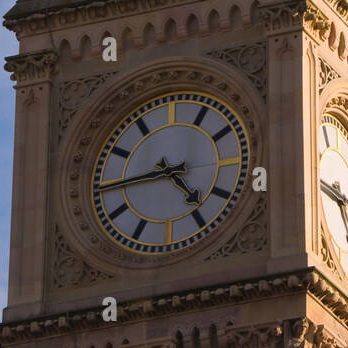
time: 4:44
